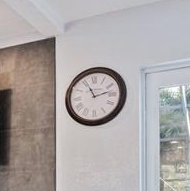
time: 11:12
